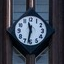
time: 11:32
